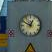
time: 12:49
